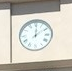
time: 12:09
